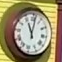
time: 11:01
